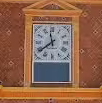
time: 11:38
